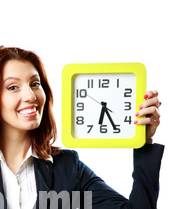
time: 6:25
